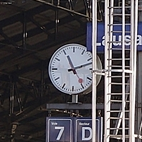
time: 11:12
